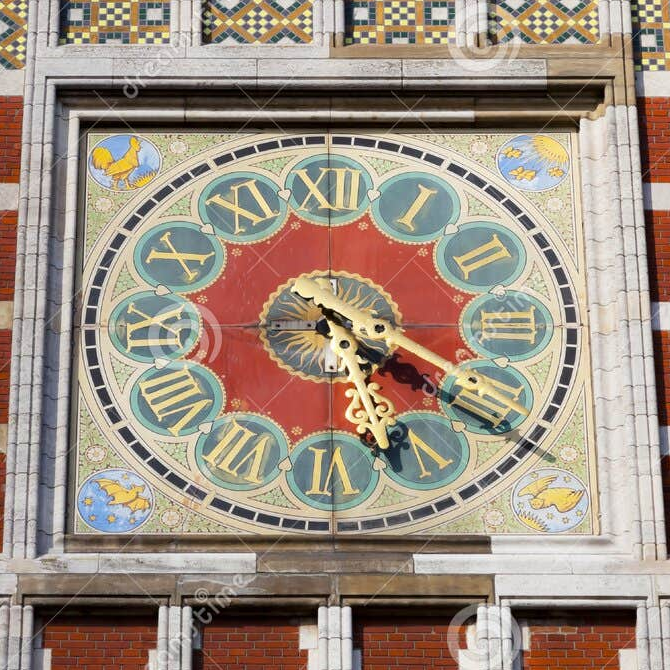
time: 5:20
